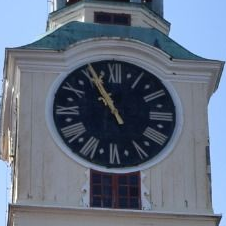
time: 10:55
